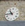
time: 10:43
